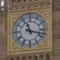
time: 11:17
